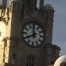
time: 11:40
